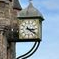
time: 3:21
